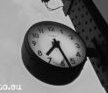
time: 7:27
